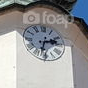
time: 2:32
